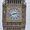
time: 2:42
